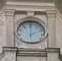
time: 2:00
